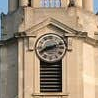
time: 8:12
